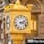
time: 2:18
